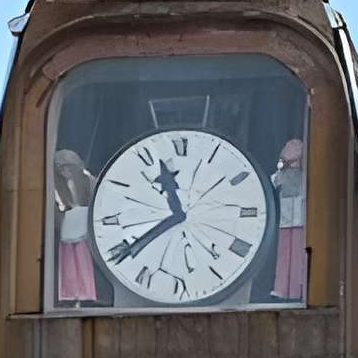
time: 11:39
